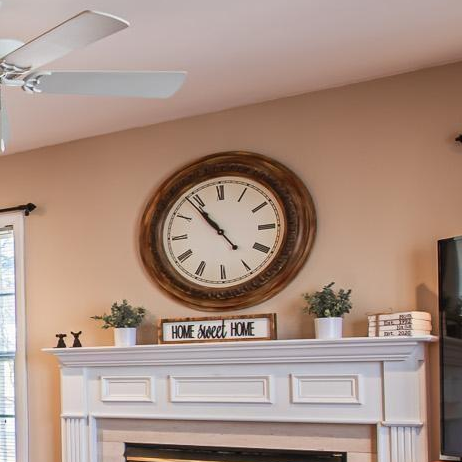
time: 10:53
